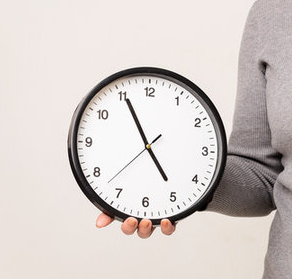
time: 4:55
